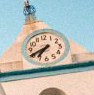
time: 7:40
